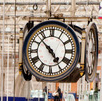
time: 4:52
